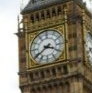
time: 3:39
